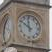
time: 11:50
